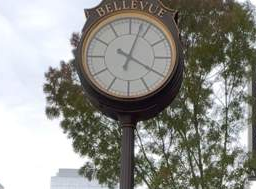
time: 4:03
